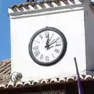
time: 12:11
